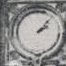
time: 2:07
